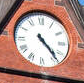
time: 4:23
